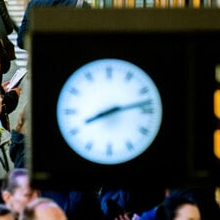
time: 8:12
